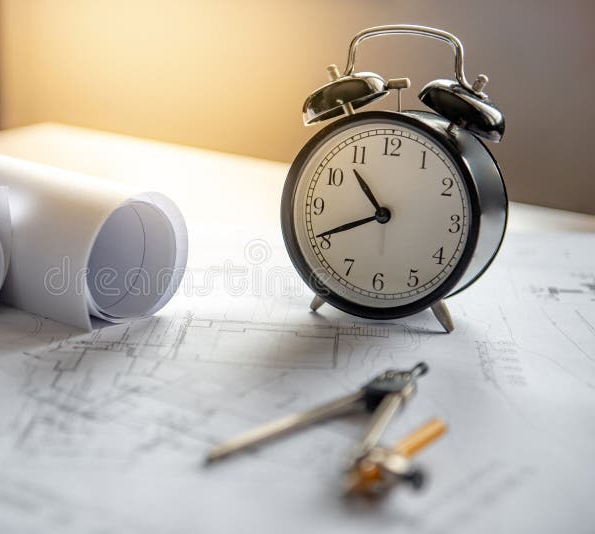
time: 10:41
